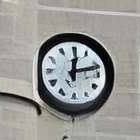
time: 12:12
